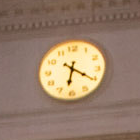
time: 6:20
